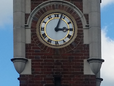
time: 3:03
